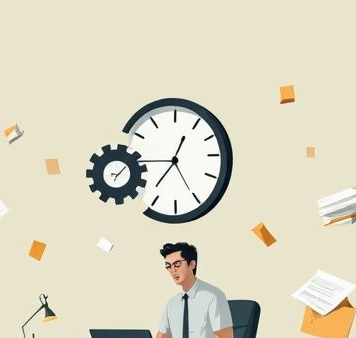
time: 12:36
